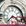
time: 3:36
